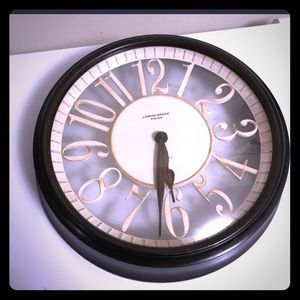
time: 6:31
